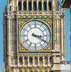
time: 3:20
